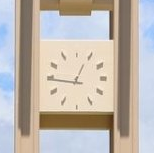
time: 12:45
